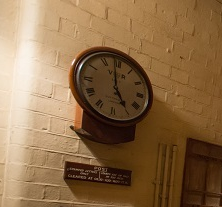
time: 4:59
